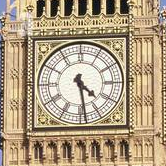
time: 4:28
